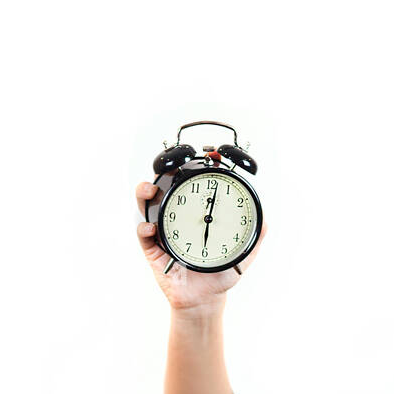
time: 6:01
